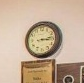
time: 3:13
